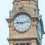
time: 9:12
